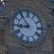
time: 8:53
